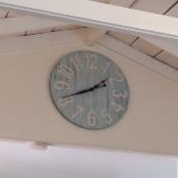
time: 1:41
